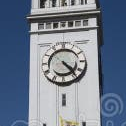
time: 4:23
